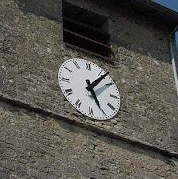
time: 5:06
